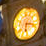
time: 6:15
